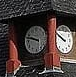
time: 9:47
